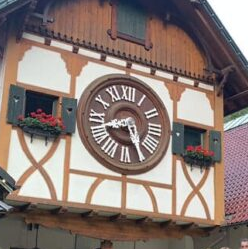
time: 8:25
